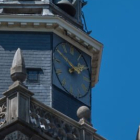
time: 1:50
